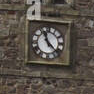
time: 11:22
